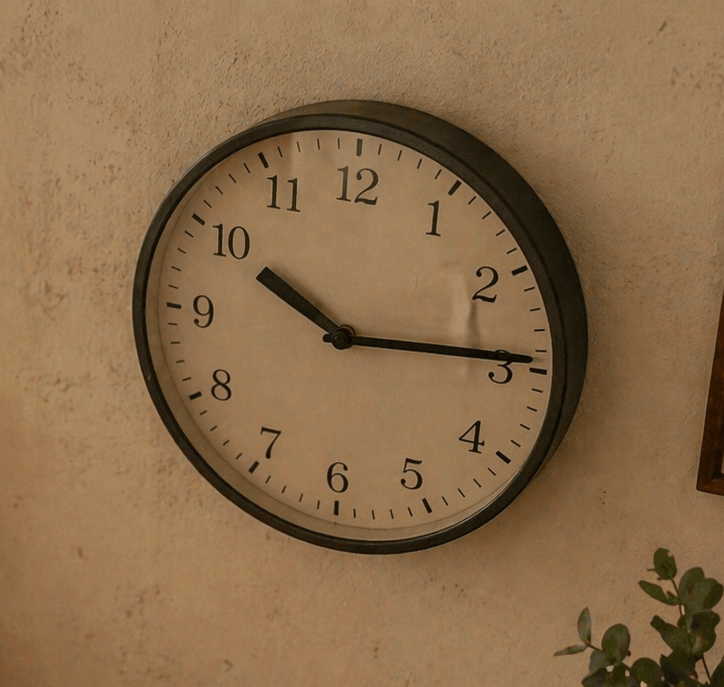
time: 10:14
